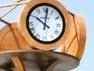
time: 10:01
